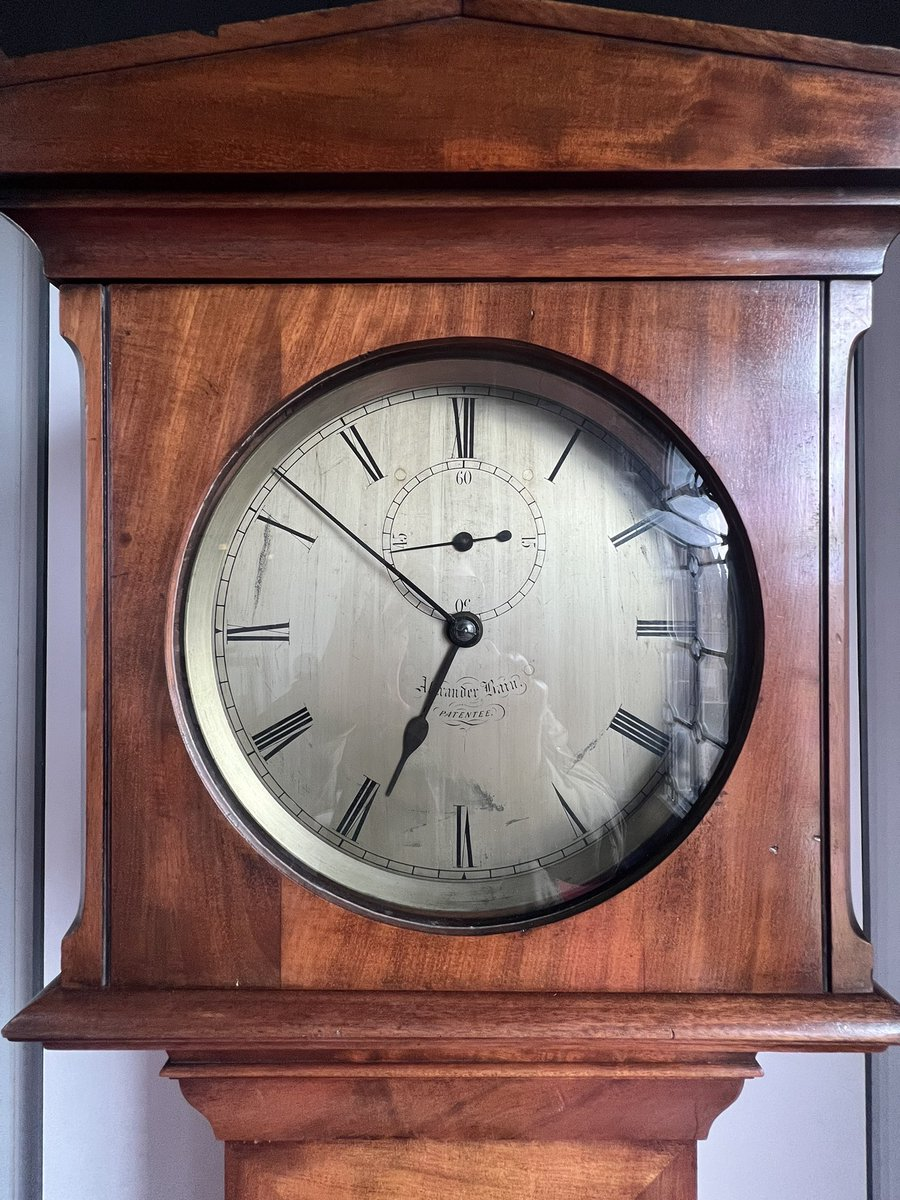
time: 6:51
